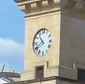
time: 10:40
